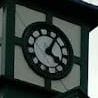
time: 4:04
